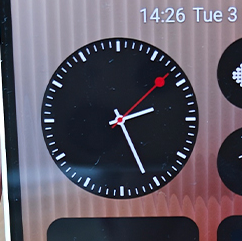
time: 2:26
